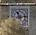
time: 11:13
